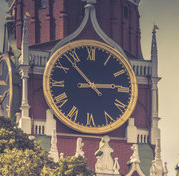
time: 2:53
